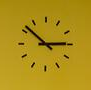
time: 2:51
